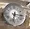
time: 6:15
